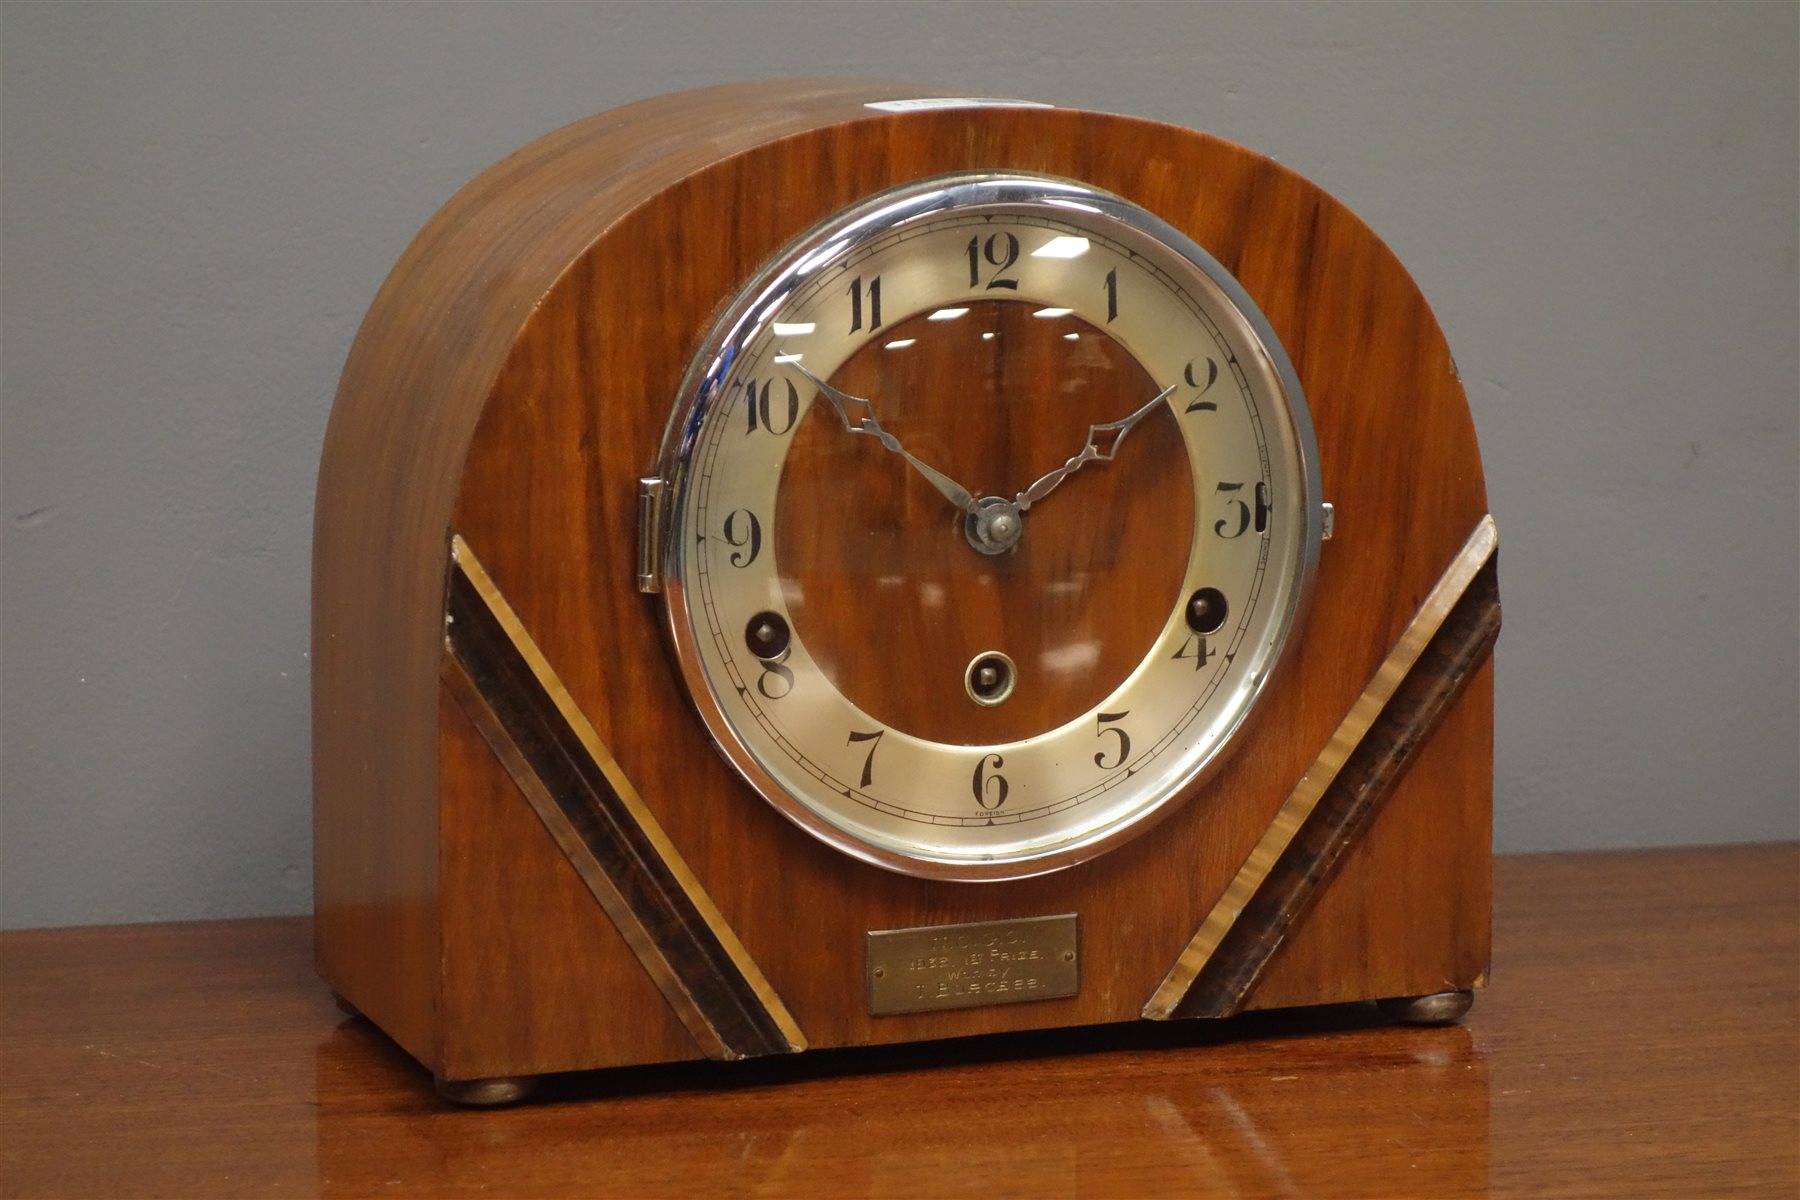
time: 1:51
